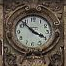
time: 3:52
